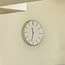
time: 11:32
